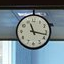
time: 11:17
